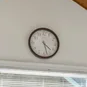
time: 4:27
